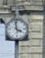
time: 3:58
